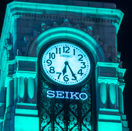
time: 6:25
